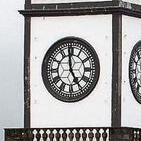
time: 4:58
